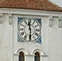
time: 11:29
